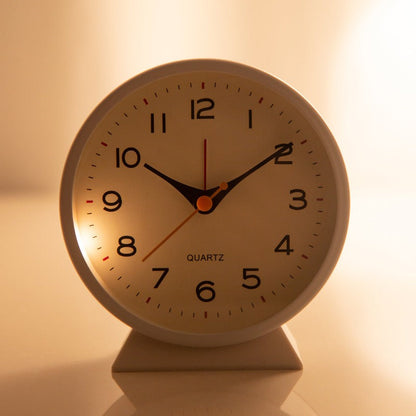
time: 10:09
